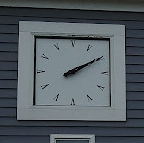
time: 2:10
